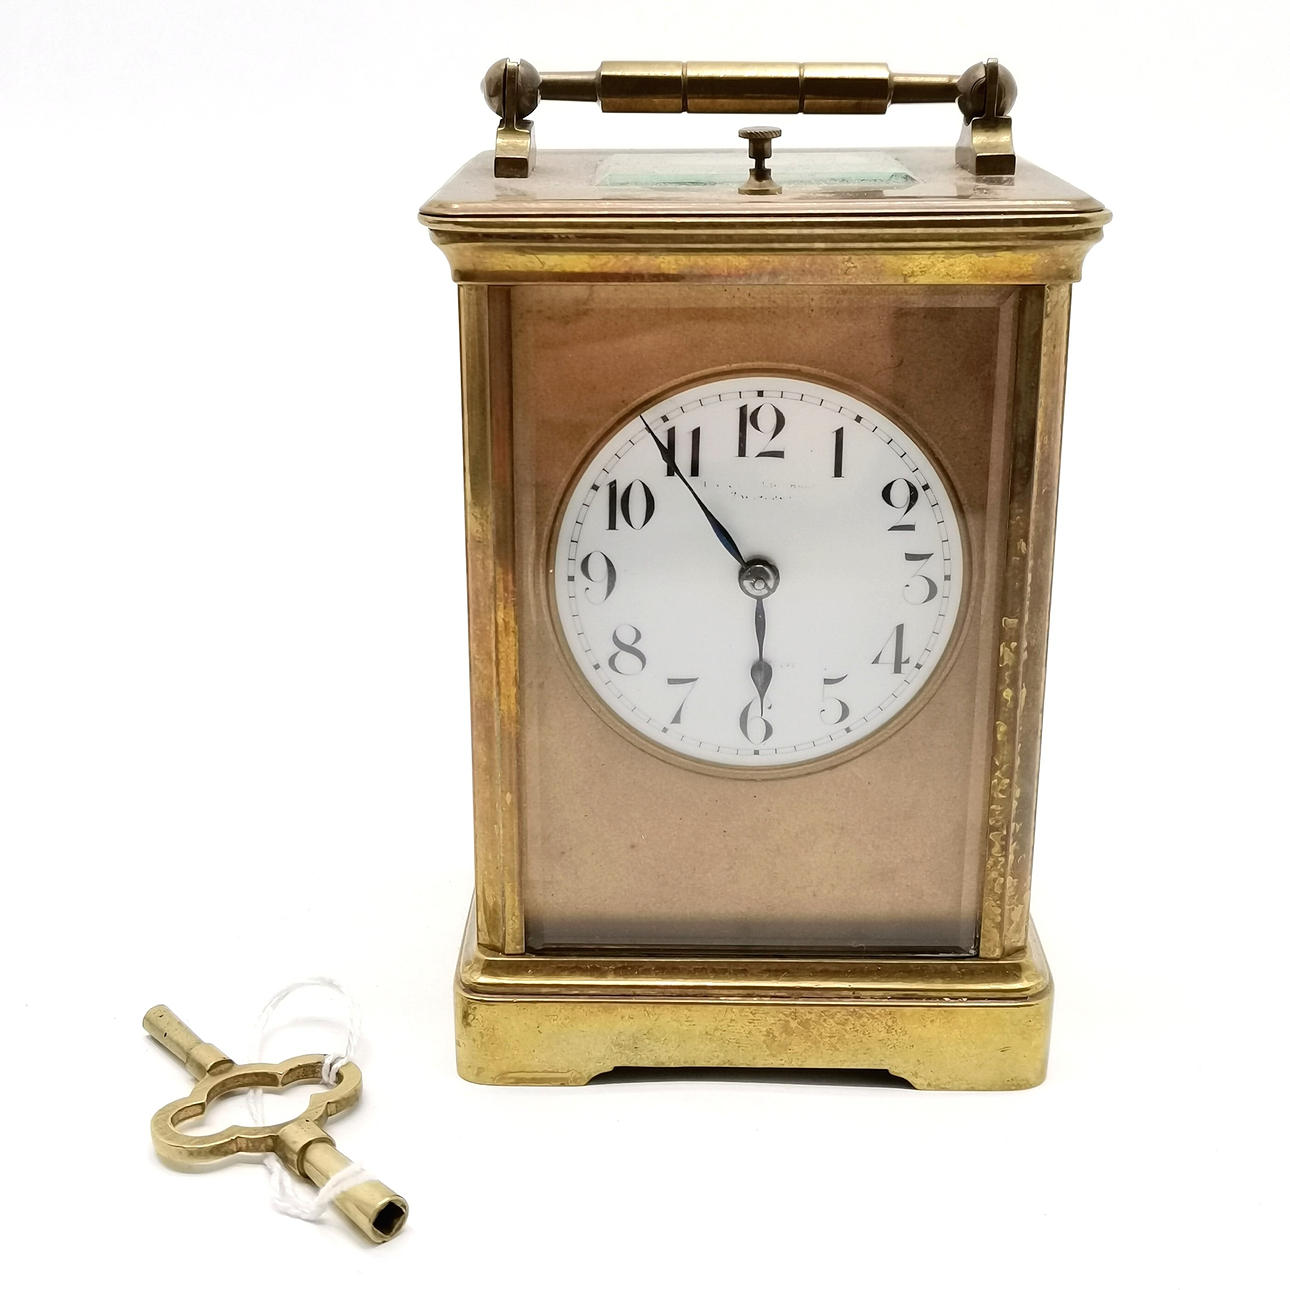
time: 5:54
